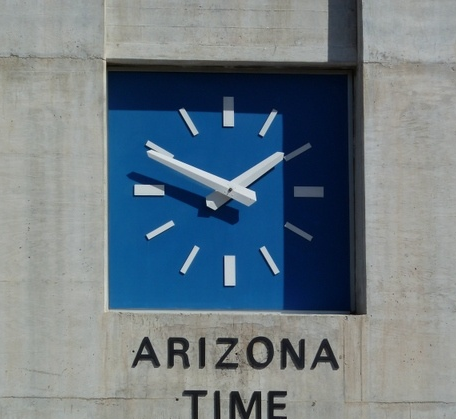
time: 1:49
